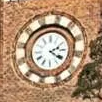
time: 4:10
